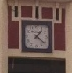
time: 1:21
